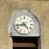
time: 4:42
